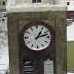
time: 1:12
